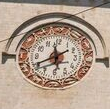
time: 11:41
